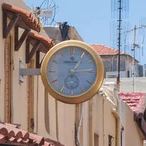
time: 1:14
